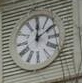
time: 12:09
